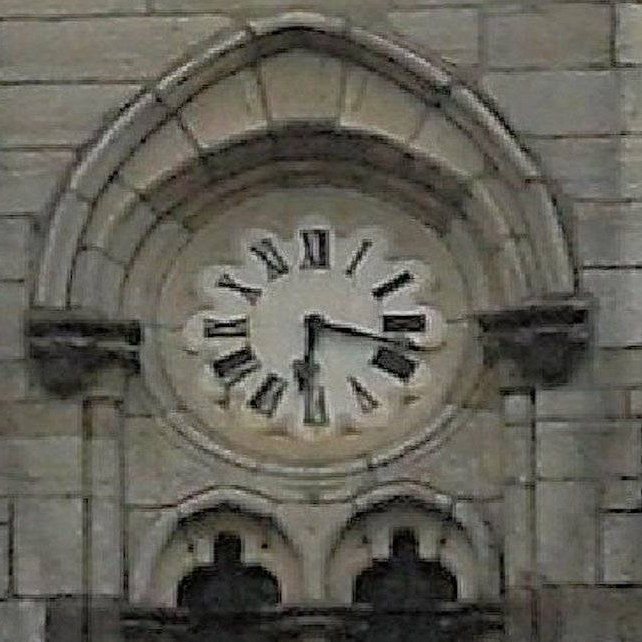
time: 6:17
